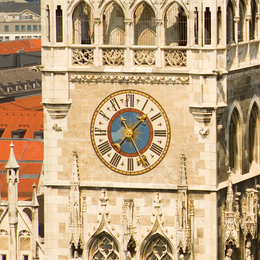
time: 11:07
